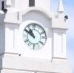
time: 10:50
